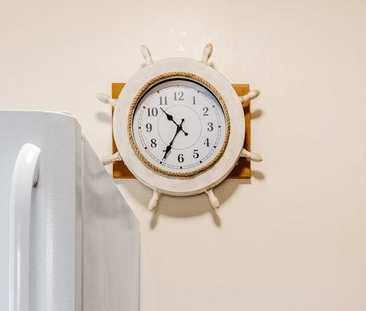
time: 10:34
